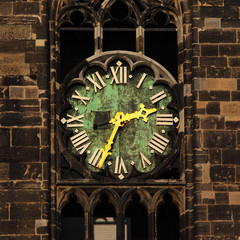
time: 2:33
